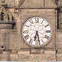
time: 6:28
